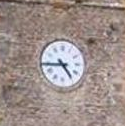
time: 4:44
